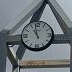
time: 10:58
